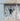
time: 12:07
